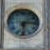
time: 6:14
